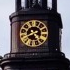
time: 4:40
